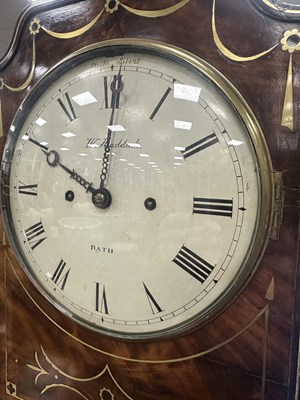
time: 10:00
